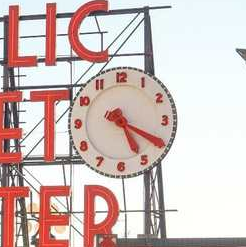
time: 5:19
